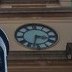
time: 3:32
